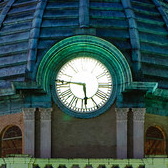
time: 5:46
